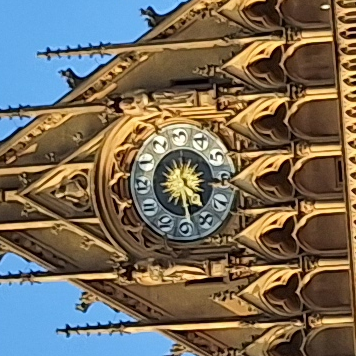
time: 12:28
